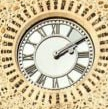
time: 2:09
